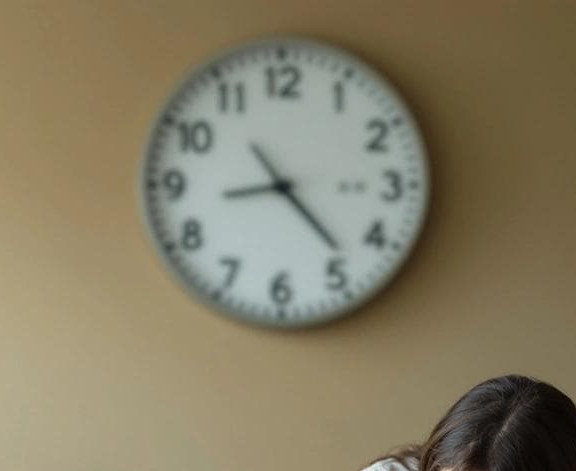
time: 8:23
